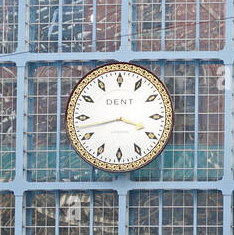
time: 3:42
